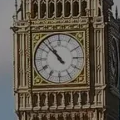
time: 10:52
